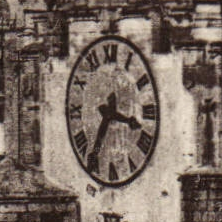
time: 3:35
